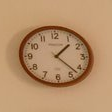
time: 1:22
